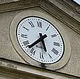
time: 5:37
